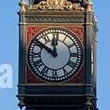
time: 11:50
